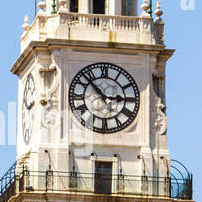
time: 2:52
